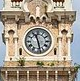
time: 11:28
